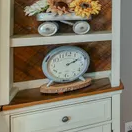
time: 2:09
